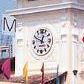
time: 12:49
